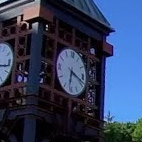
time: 6:18
